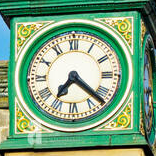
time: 7:22
